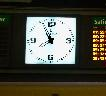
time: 7:55
